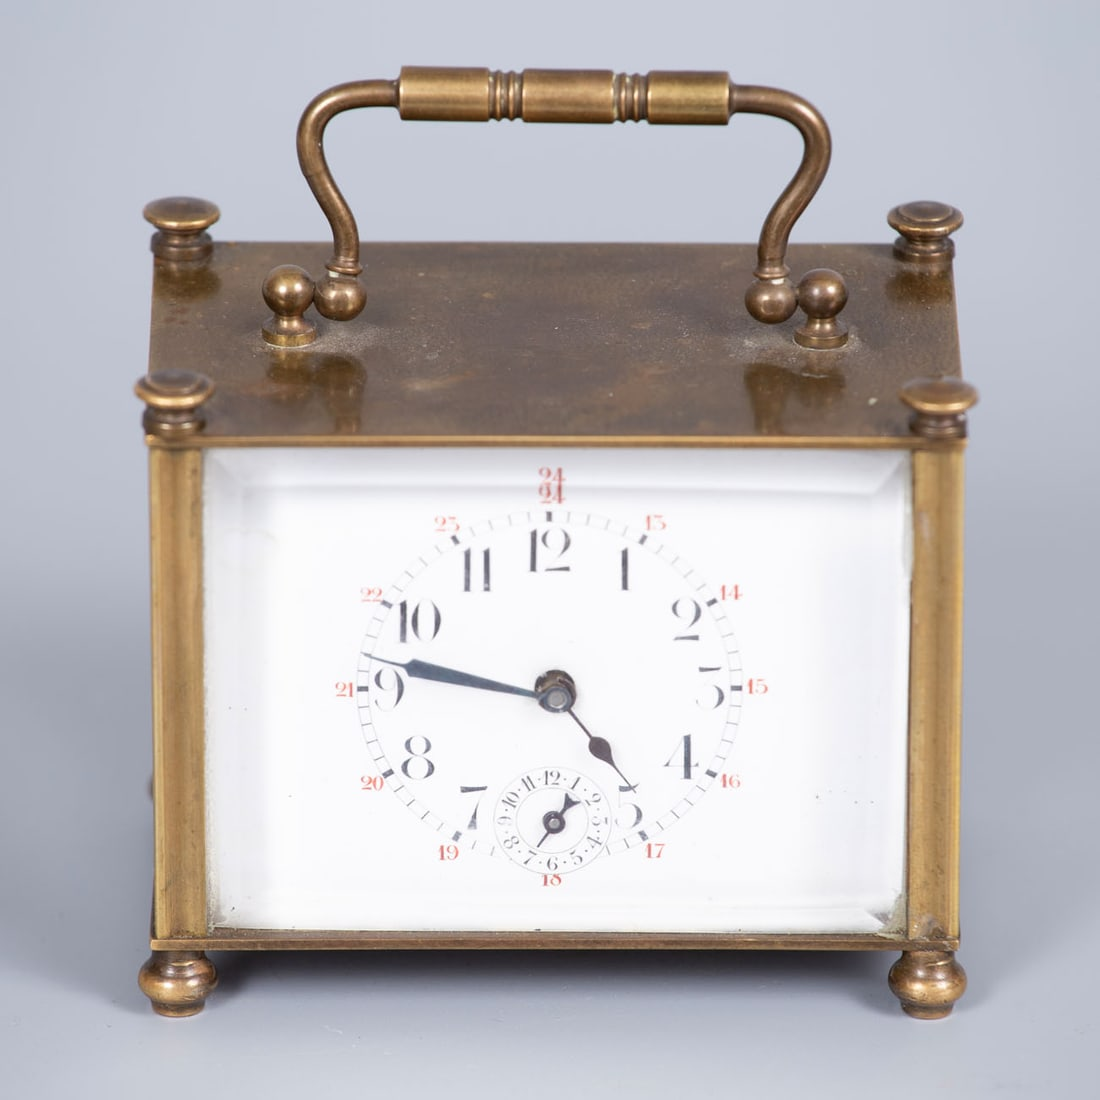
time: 4:46
